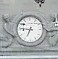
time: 6:45
